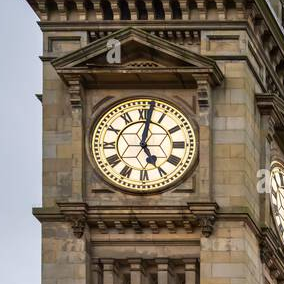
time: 5:01
